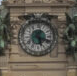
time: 5:18
